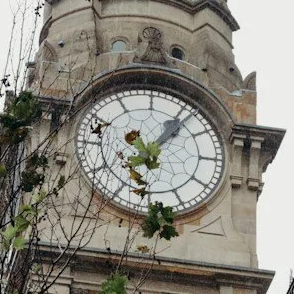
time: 1:06
